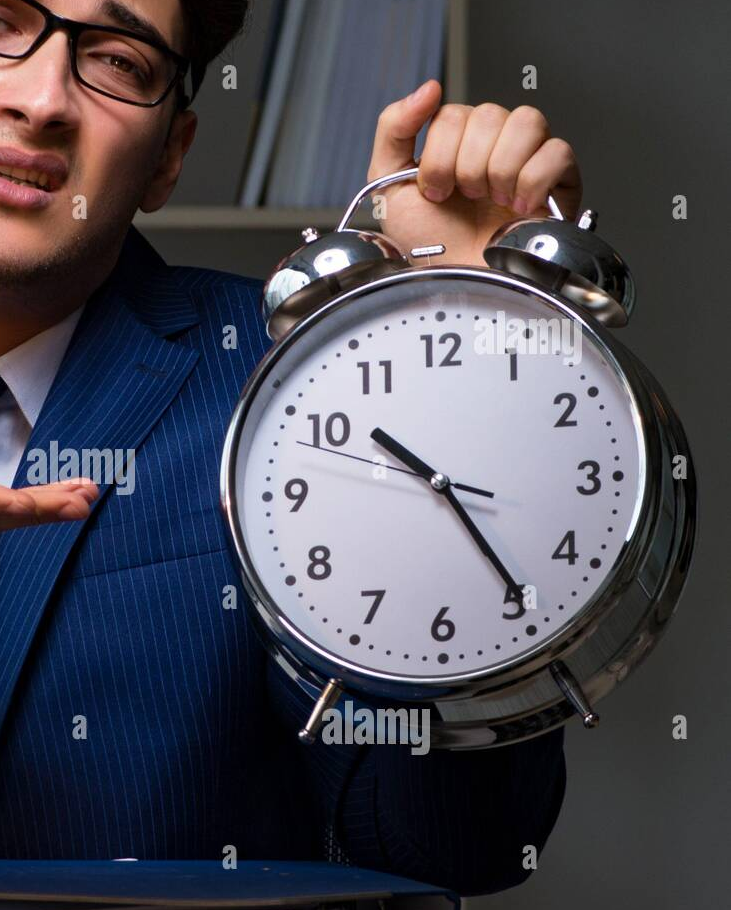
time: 10:24
